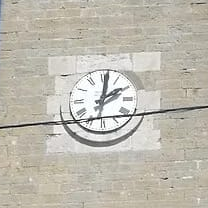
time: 2:01
